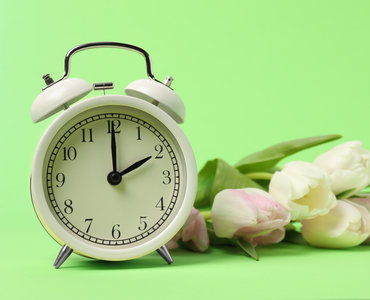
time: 2:00
